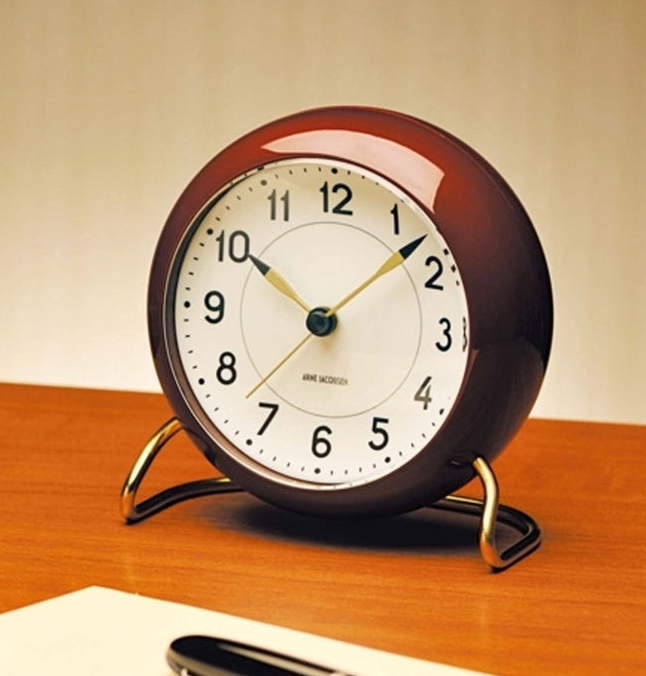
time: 10:07
